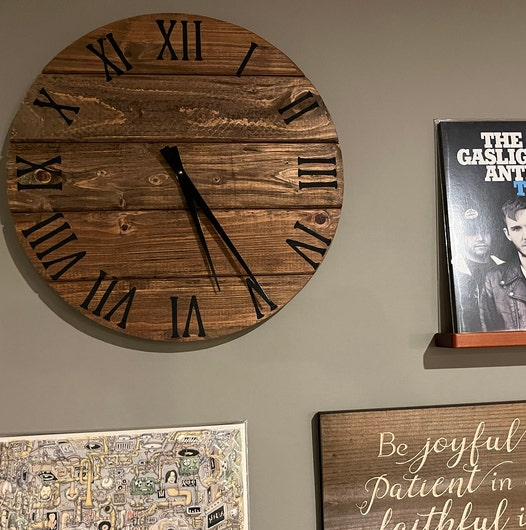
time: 5:24
